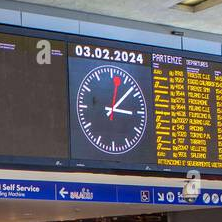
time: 3:07
